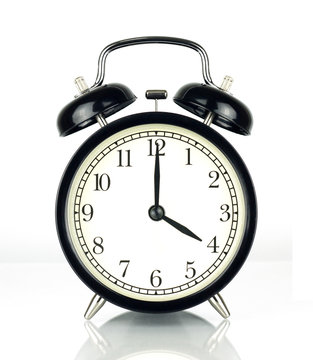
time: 4:00
